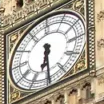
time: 6:29
